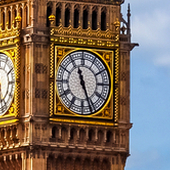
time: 11:26
